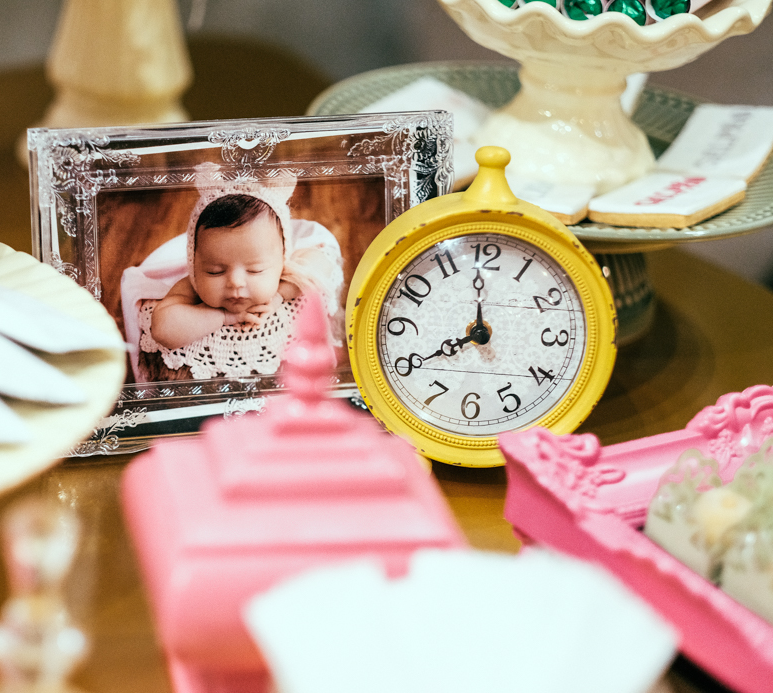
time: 7:59
